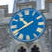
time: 10:40
